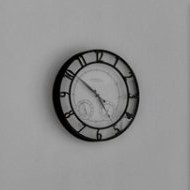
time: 4:51
